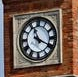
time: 11:19
